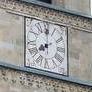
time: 7:59
